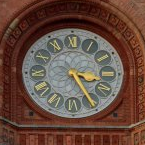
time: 3:24
